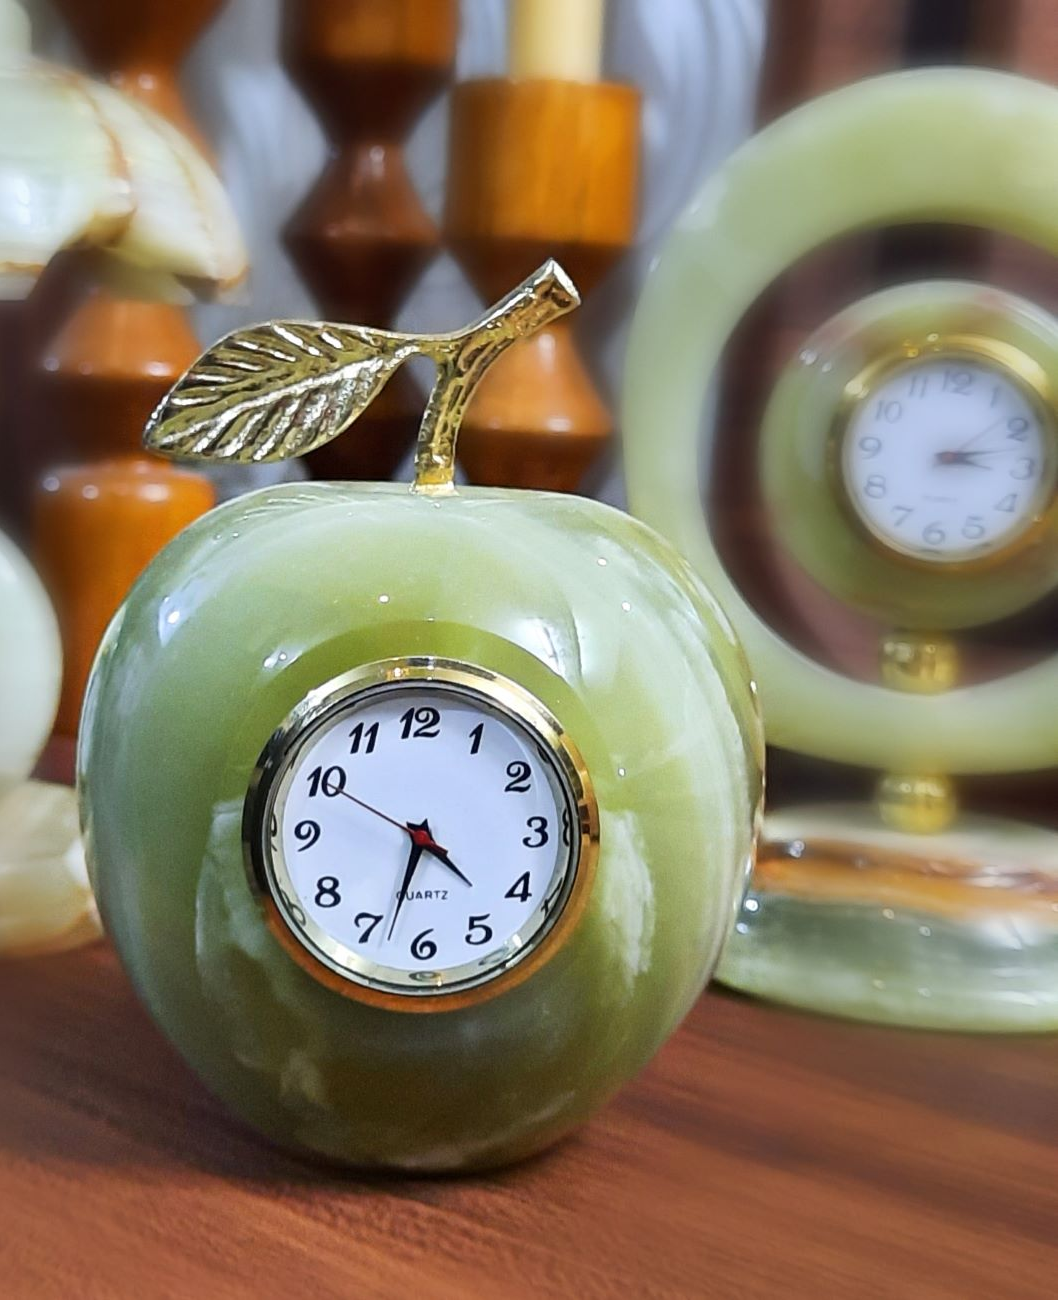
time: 4:33
